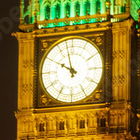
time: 9:57
